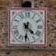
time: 4:31
